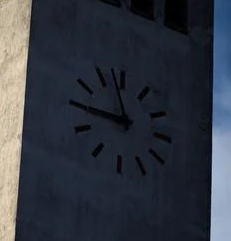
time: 11:46
